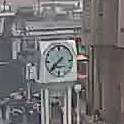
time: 7:37
